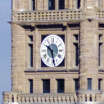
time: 10:28
